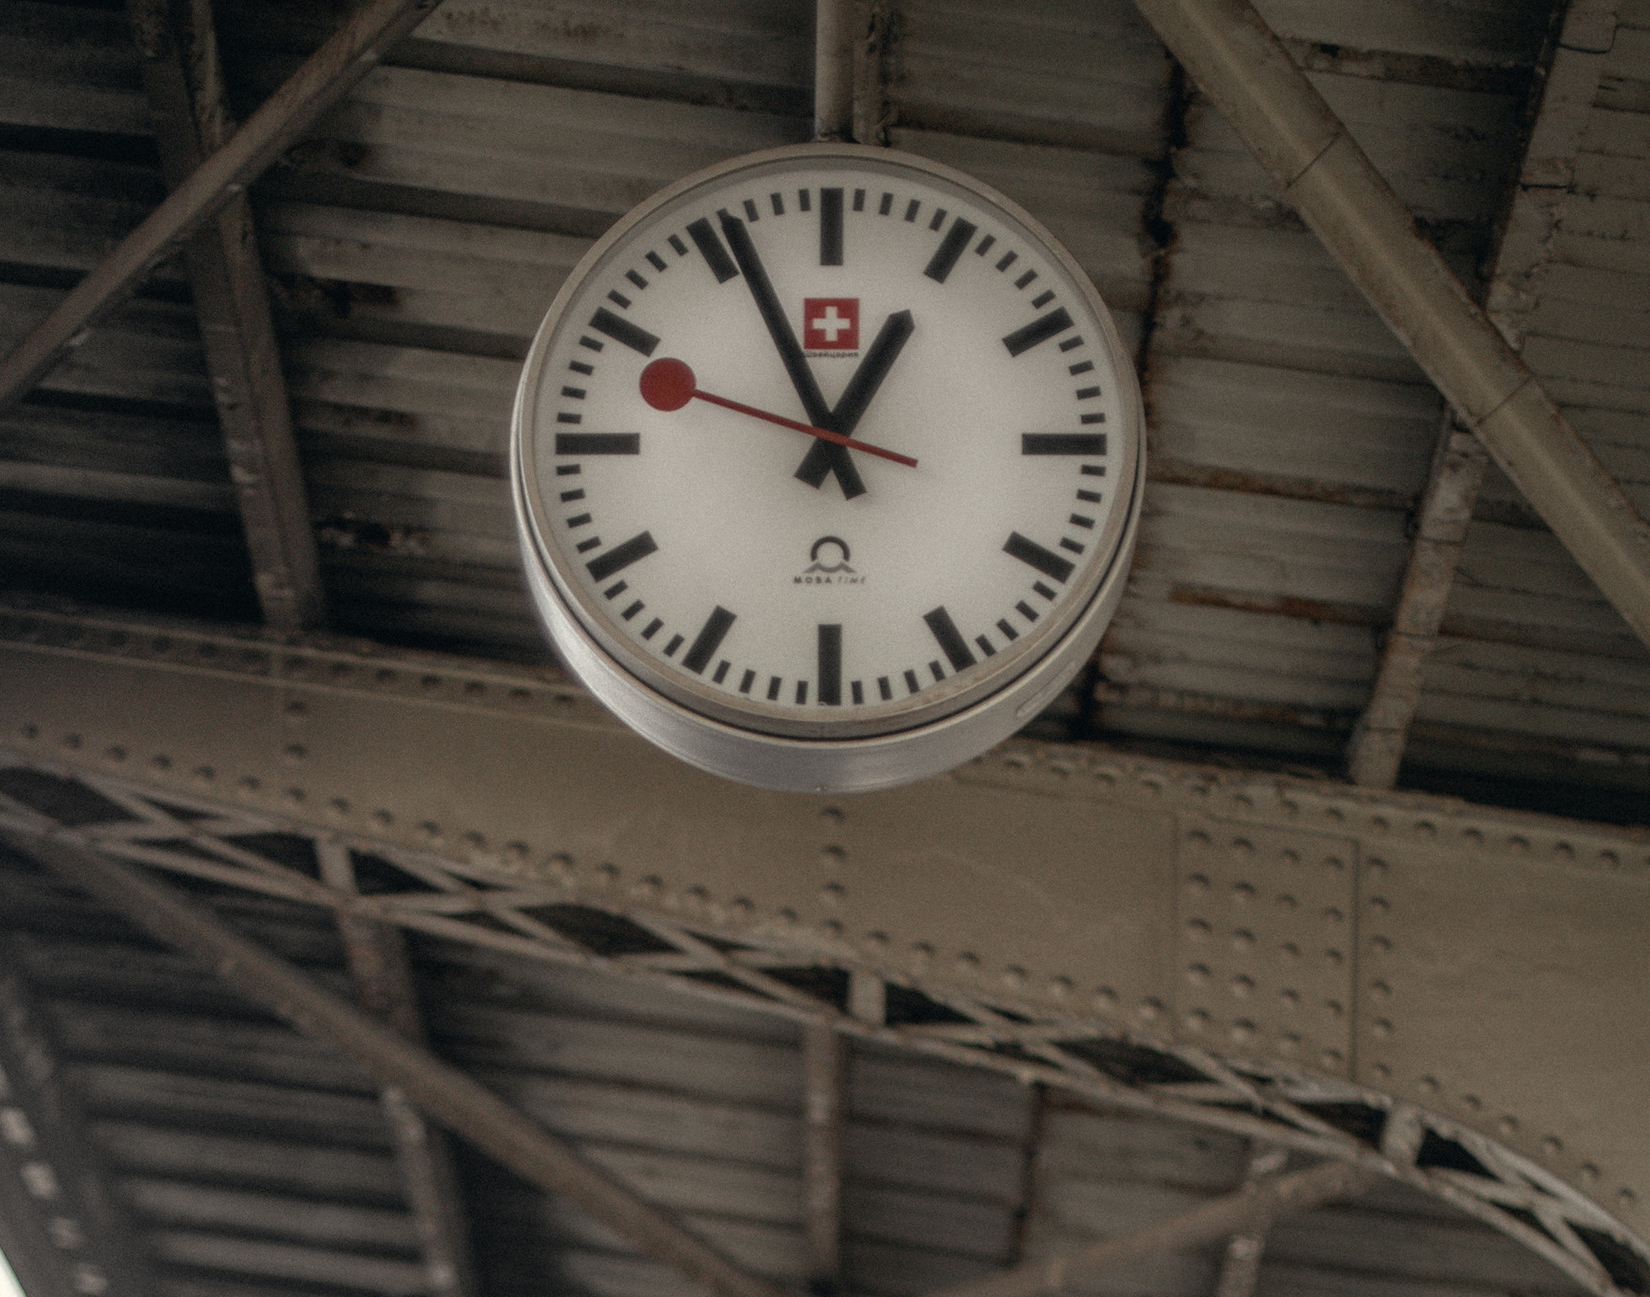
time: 12:56
